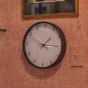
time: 1:14
